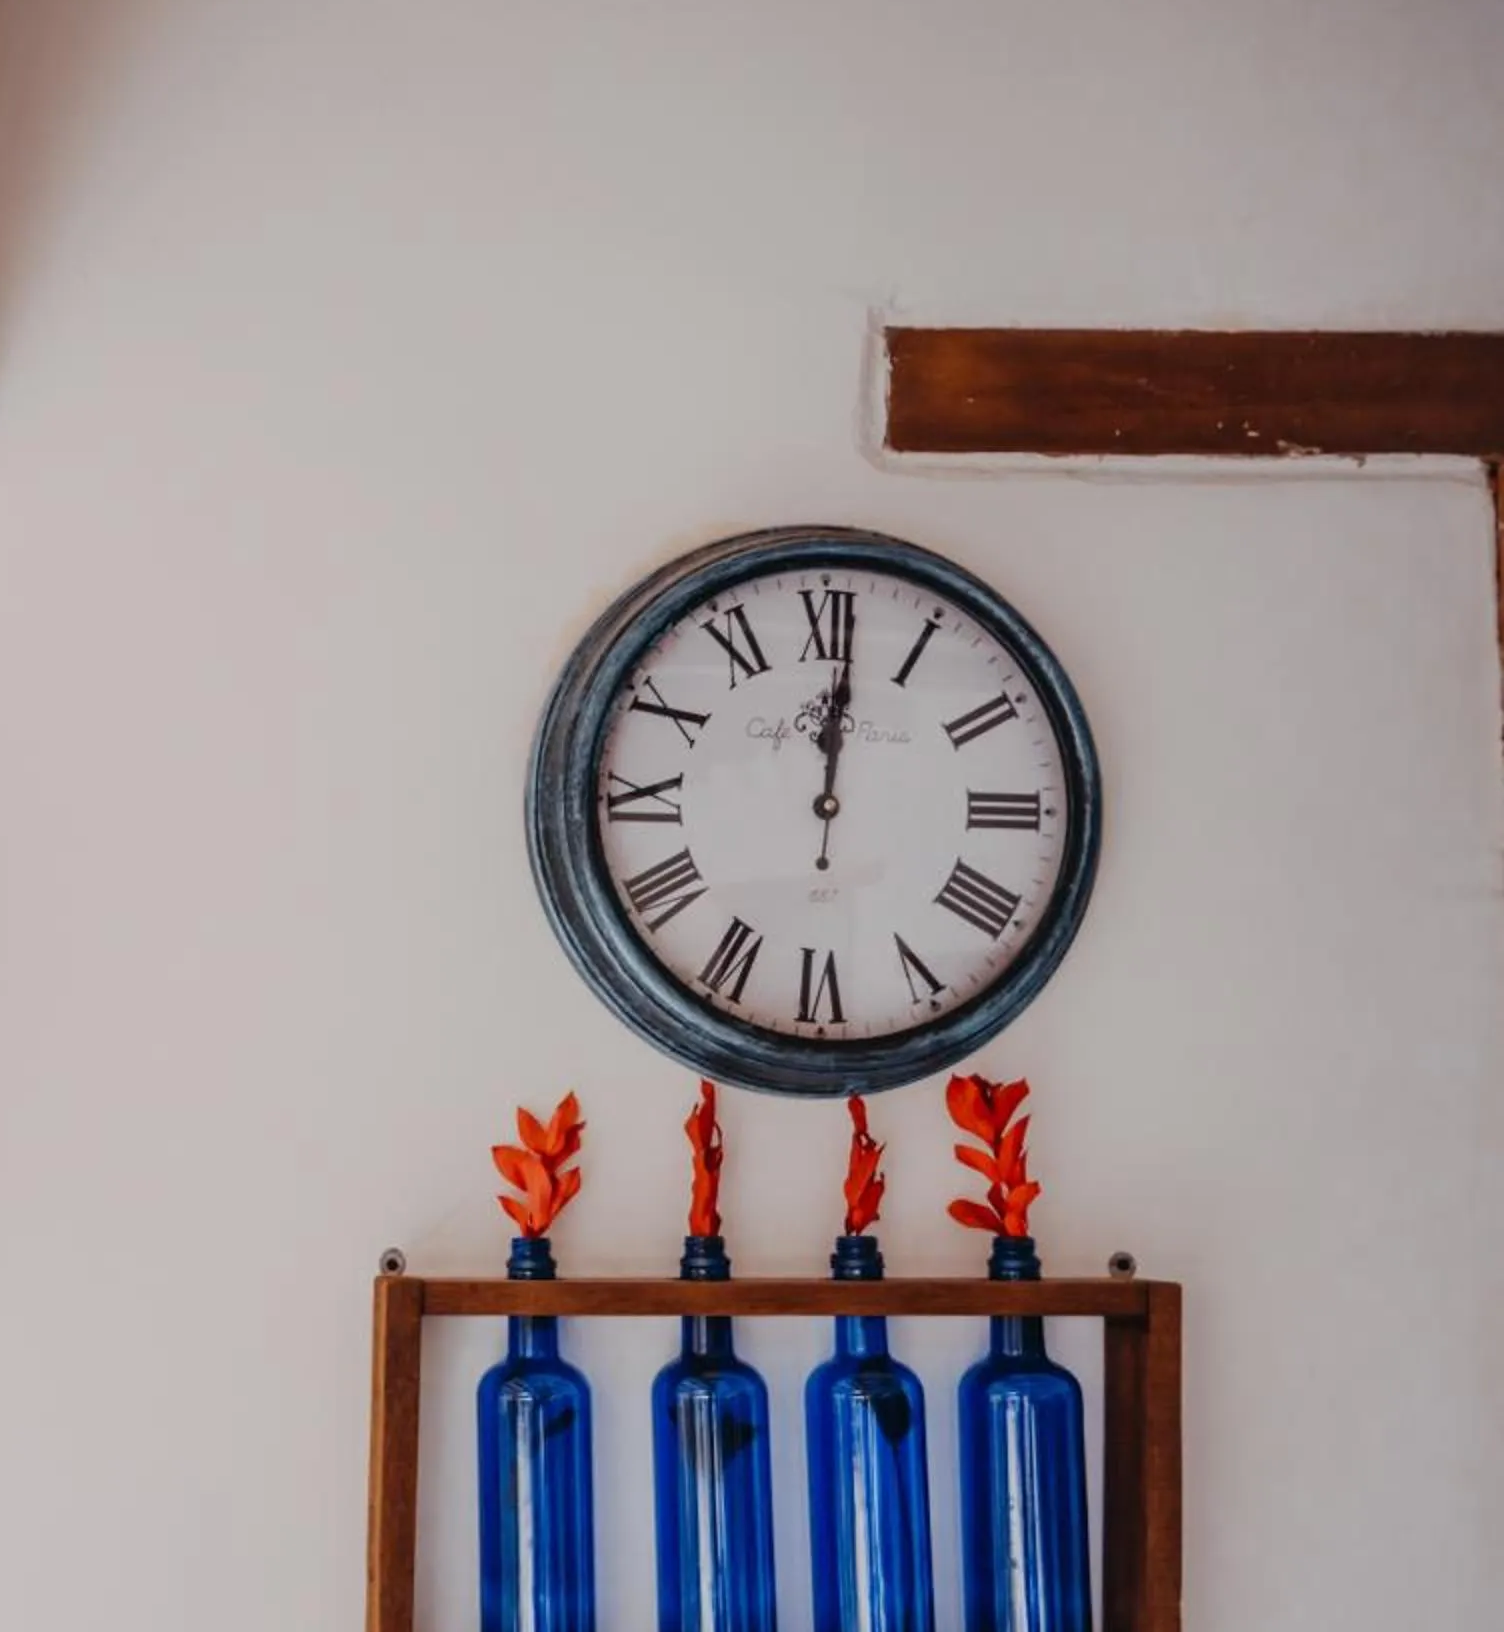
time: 12:01
